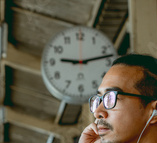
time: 9:12
